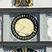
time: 7:37
